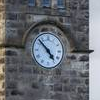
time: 4:52
